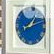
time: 1:11
